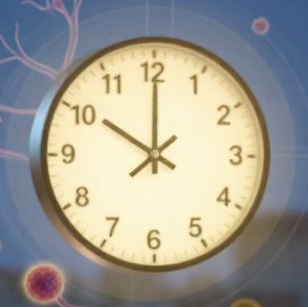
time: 10:00
